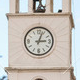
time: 3:03
